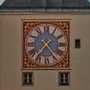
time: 7:24
